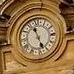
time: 11:26
